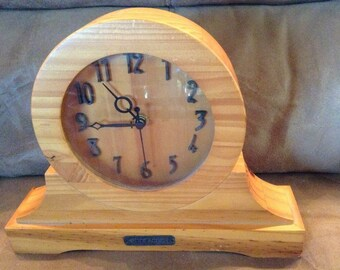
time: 10:44
